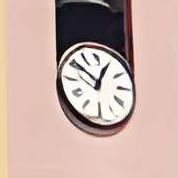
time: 12:51
